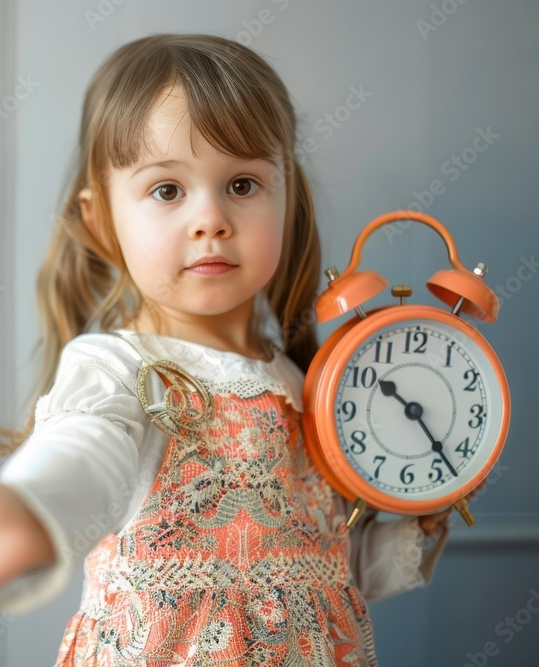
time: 10:23
